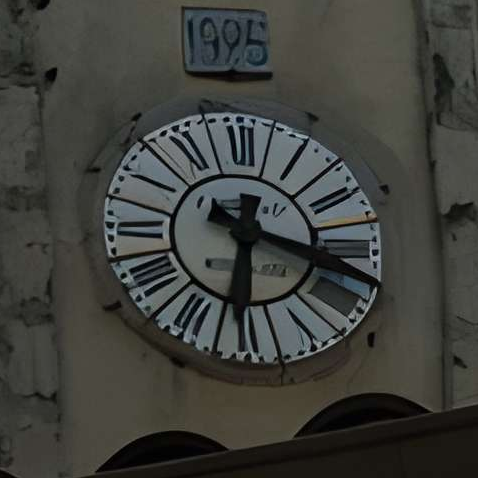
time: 6:17
